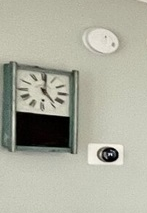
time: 12:22
